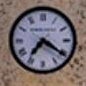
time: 7:20
